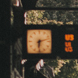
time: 6:12
